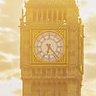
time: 6:23
